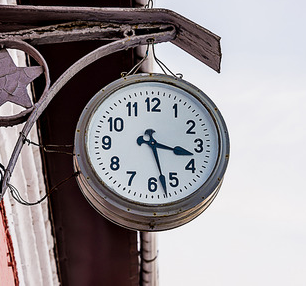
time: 3:27
